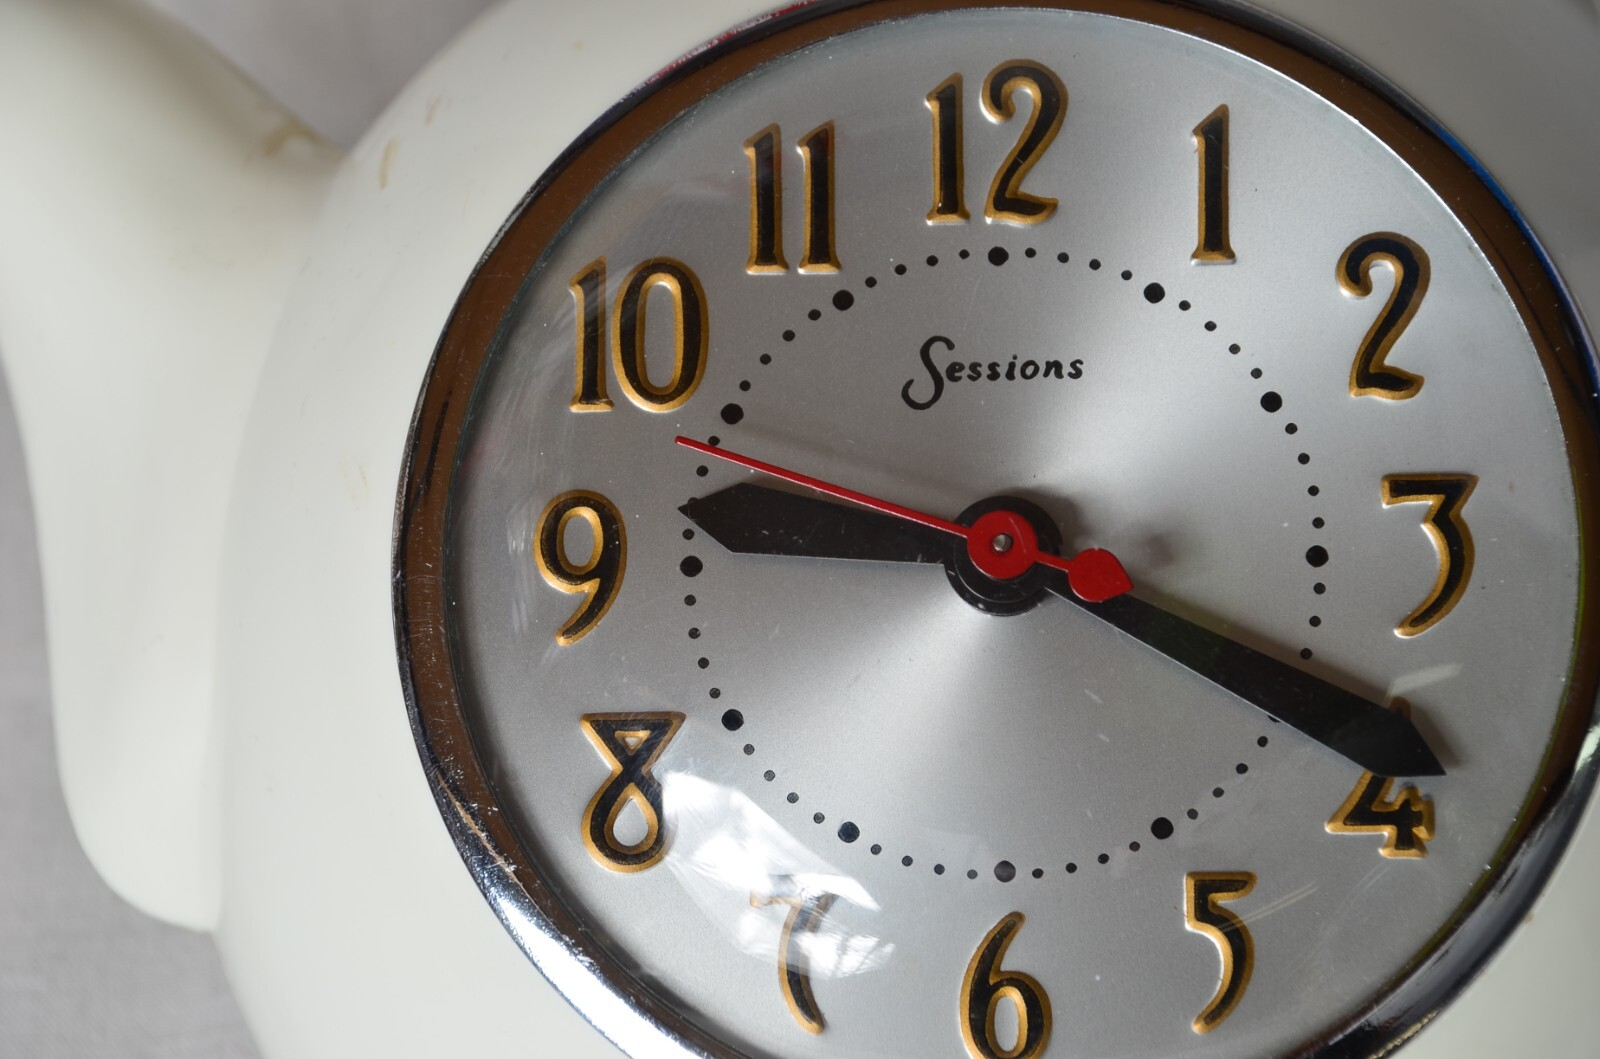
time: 9:19
